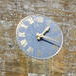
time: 1:18
